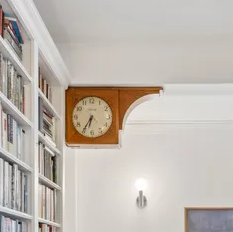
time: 6:35
